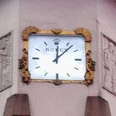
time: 12:07
